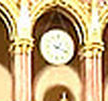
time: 1:18
